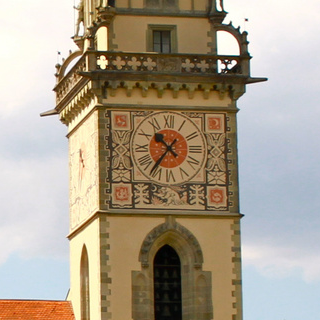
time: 10:36
